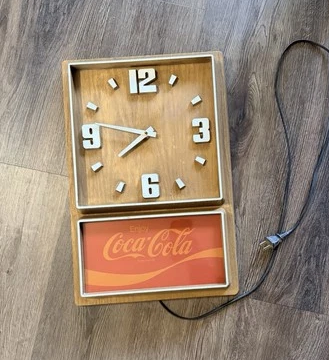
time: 7:46
